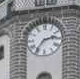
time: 2:36
